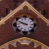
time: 9:48
